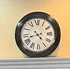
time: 4:42
